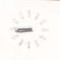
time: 8:45
